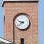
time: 9:38
